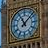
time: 11:07
